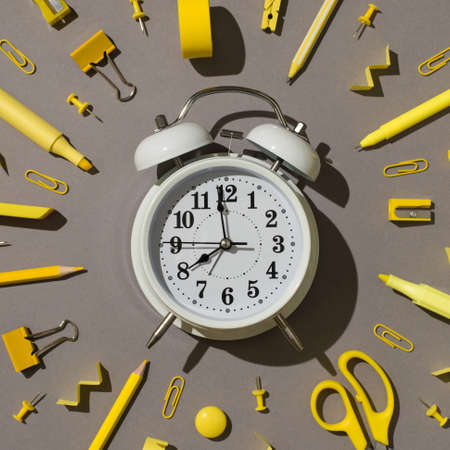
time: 7:58
